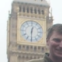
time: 12:30
